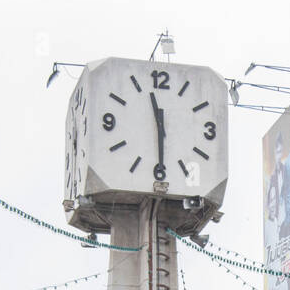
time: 11:29
